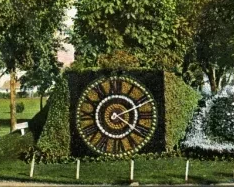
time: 4:10
